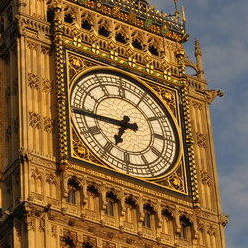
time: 6:44
